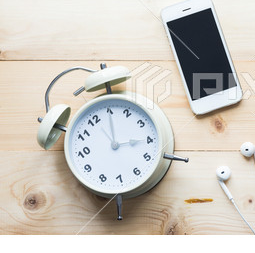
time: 3:00
